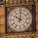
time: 10:00
